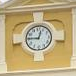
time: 12:45
